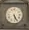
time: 5:26
